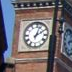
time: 2:03
